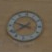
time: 9:38
